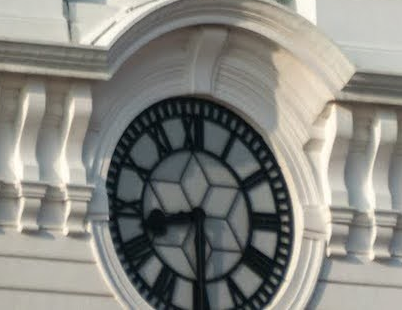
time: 8:29
